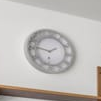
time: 1:46
